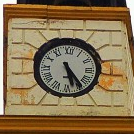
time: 5:23
